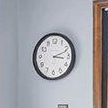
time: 3:11
